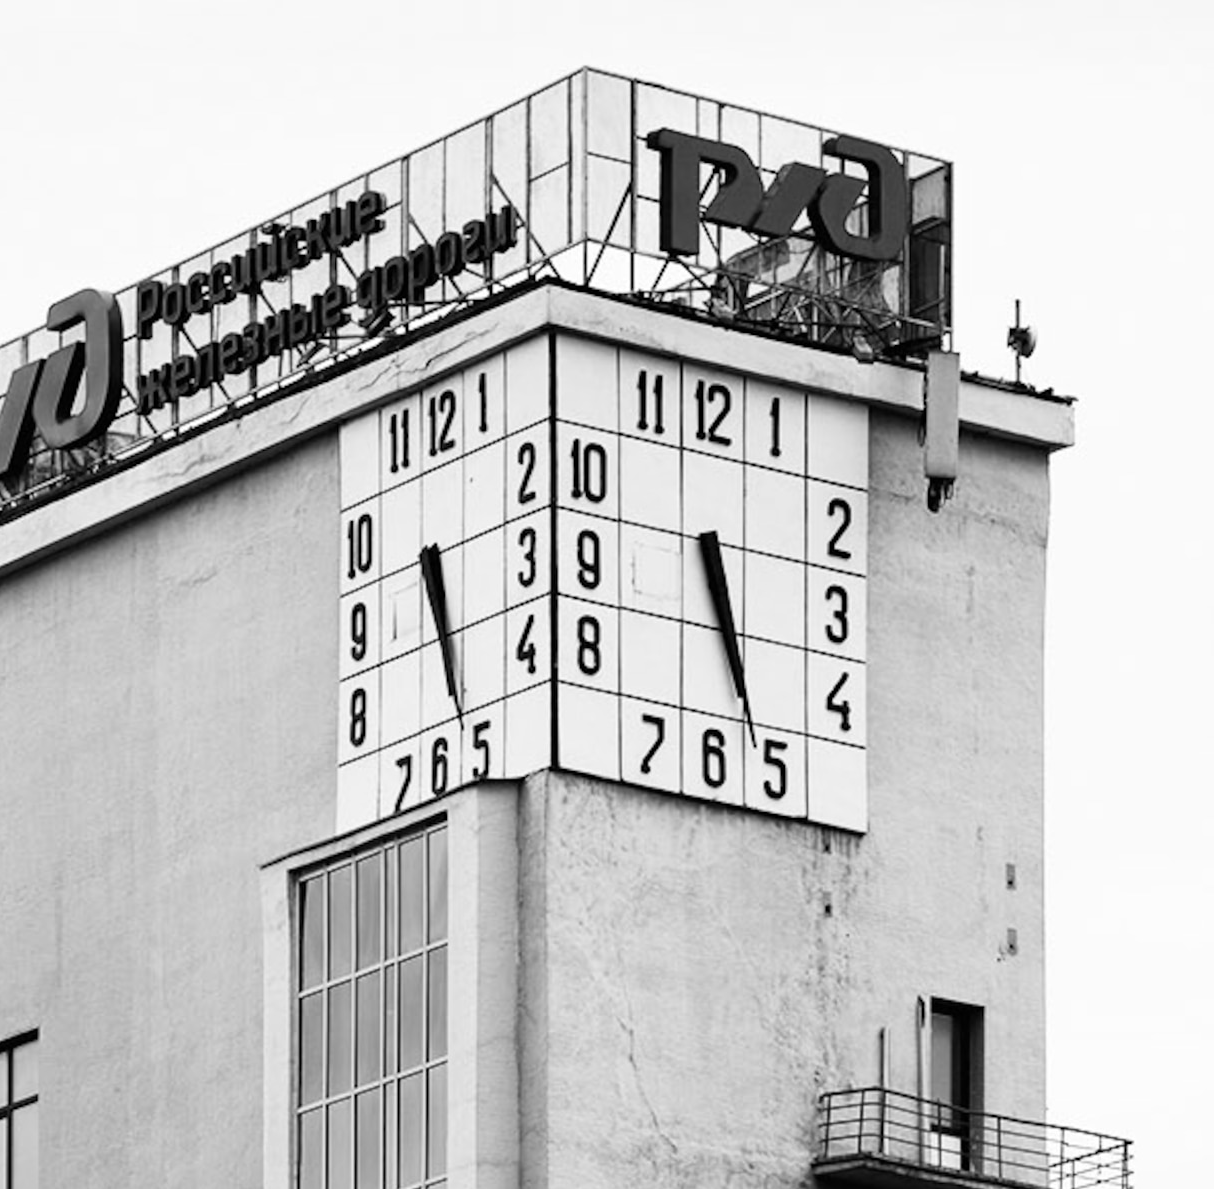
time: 5:26
